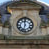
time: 11:32
